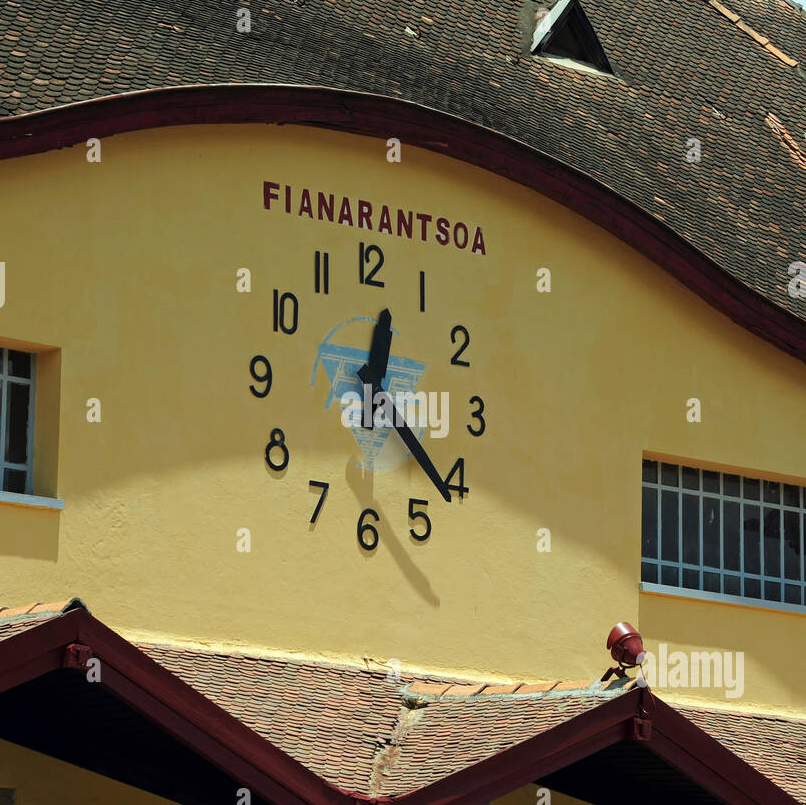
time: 12:21
